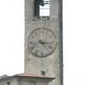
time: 3:23
